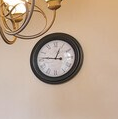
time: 12:46
